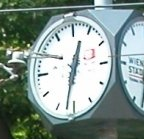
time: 12:32
